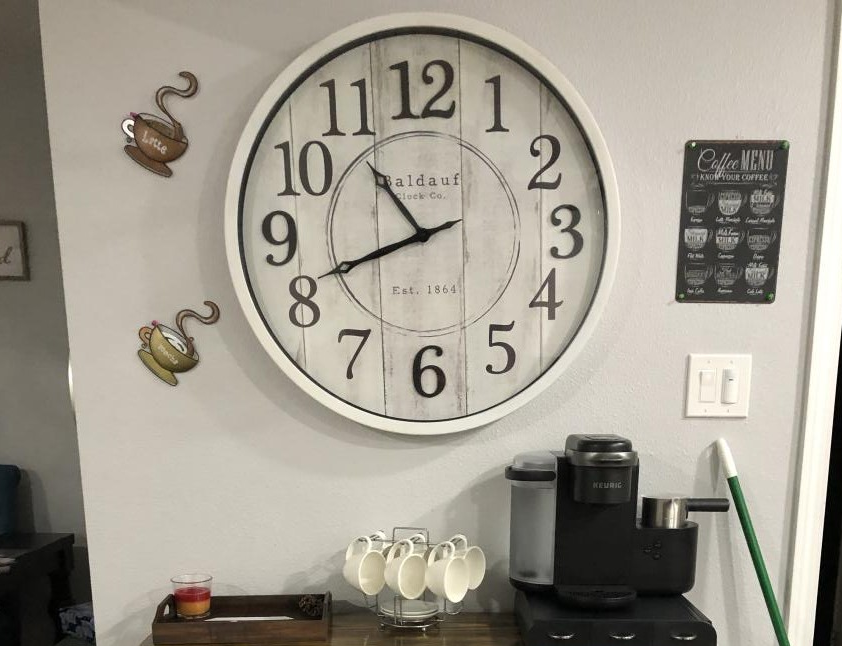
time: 10:41
